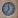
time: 11:35
